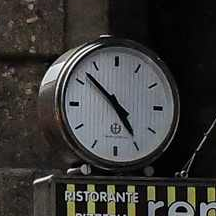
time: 4:52
